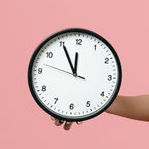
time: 11:55
